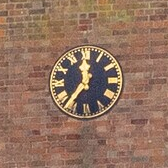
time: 11:37
